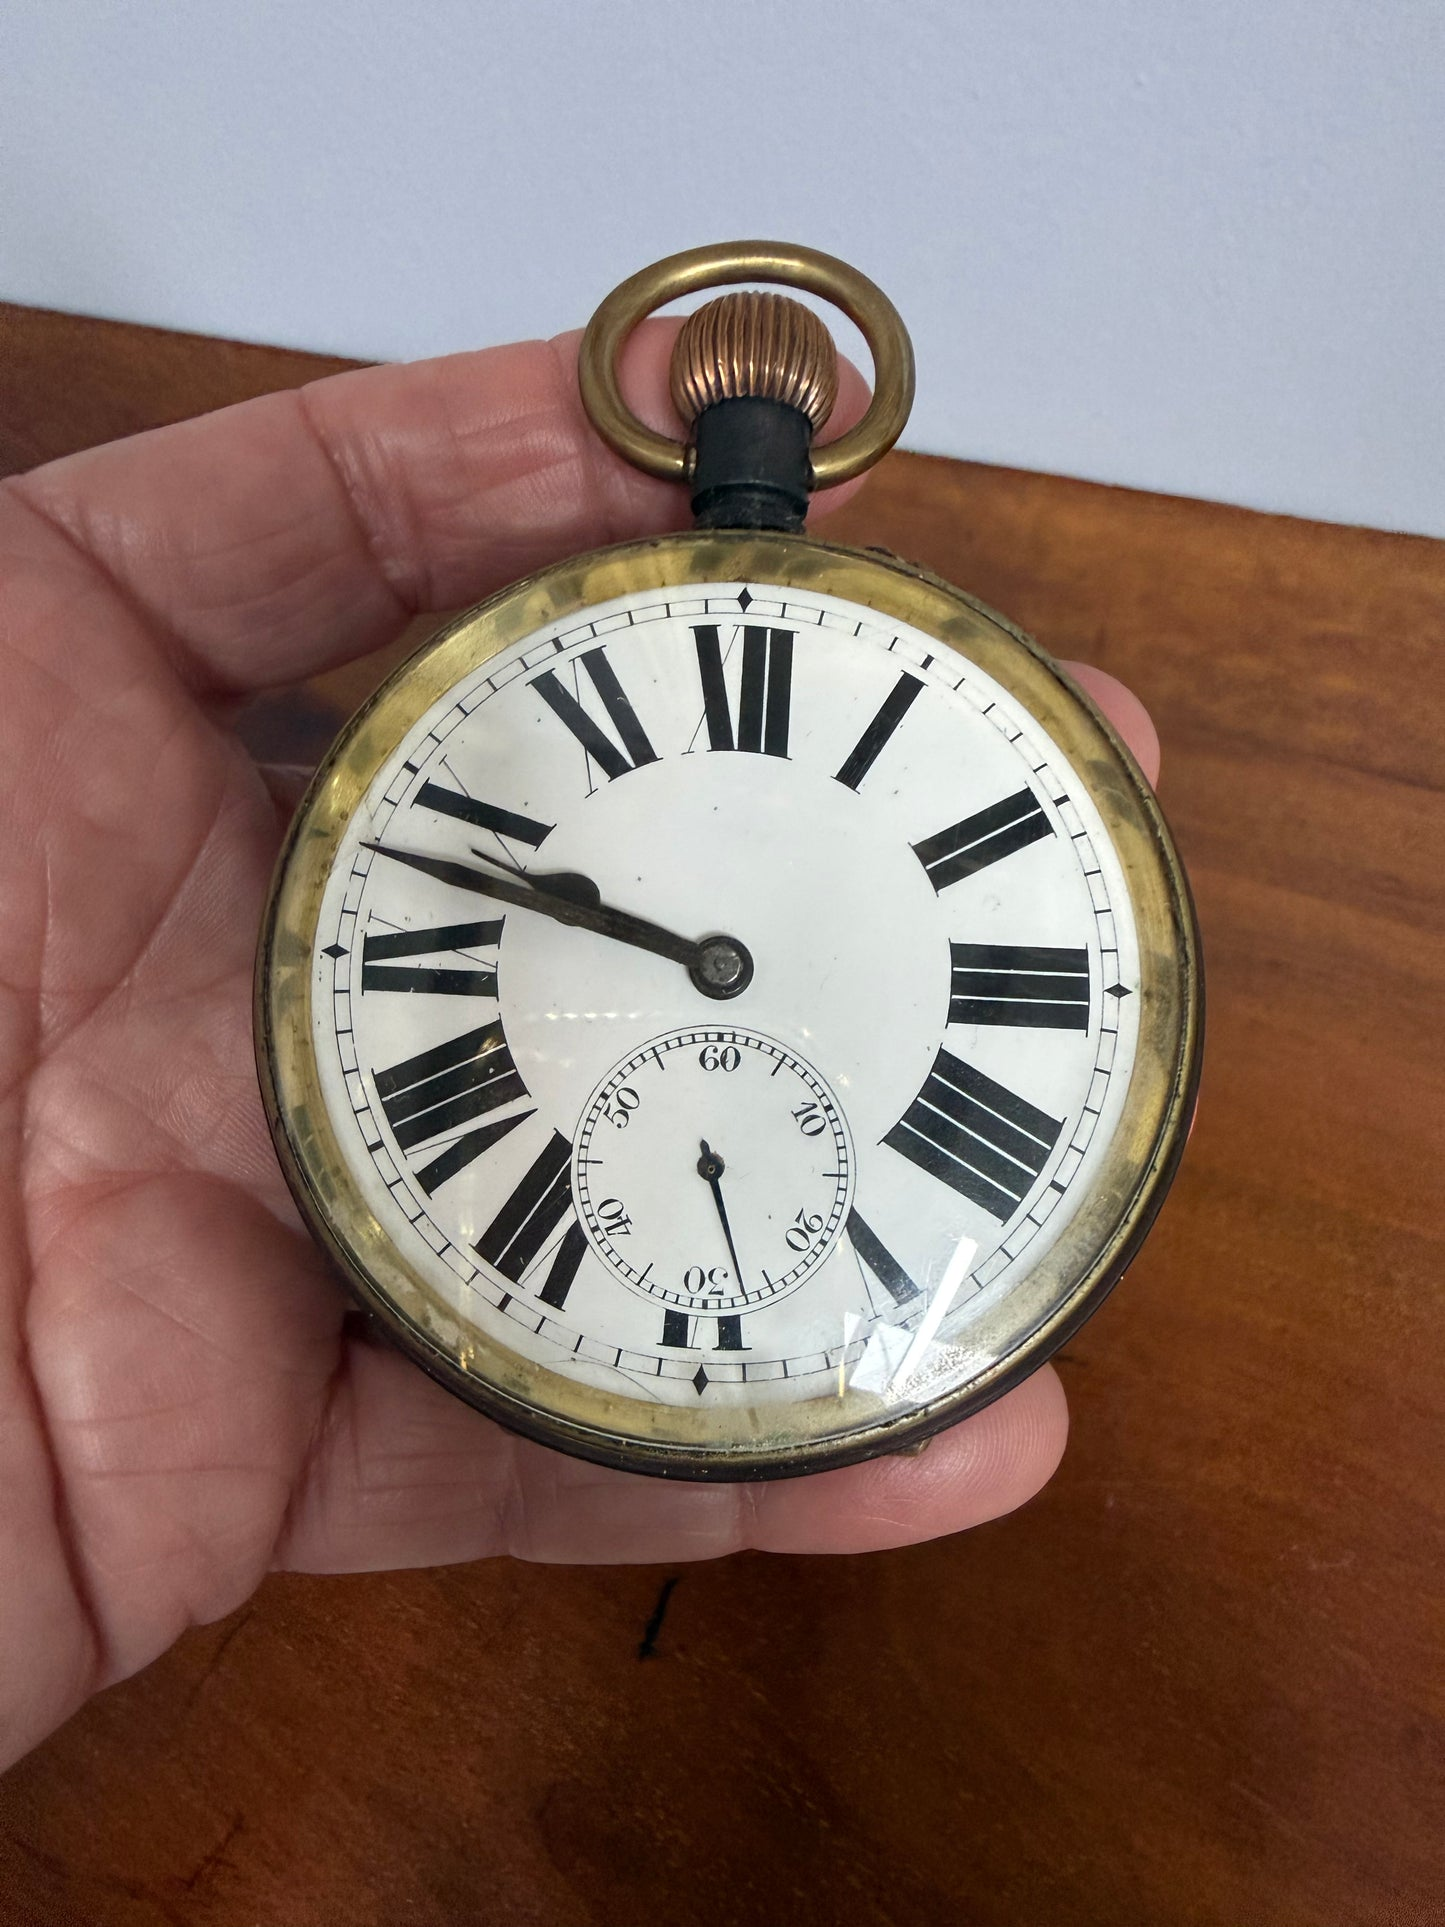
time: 9:47
